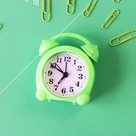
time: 6:59
